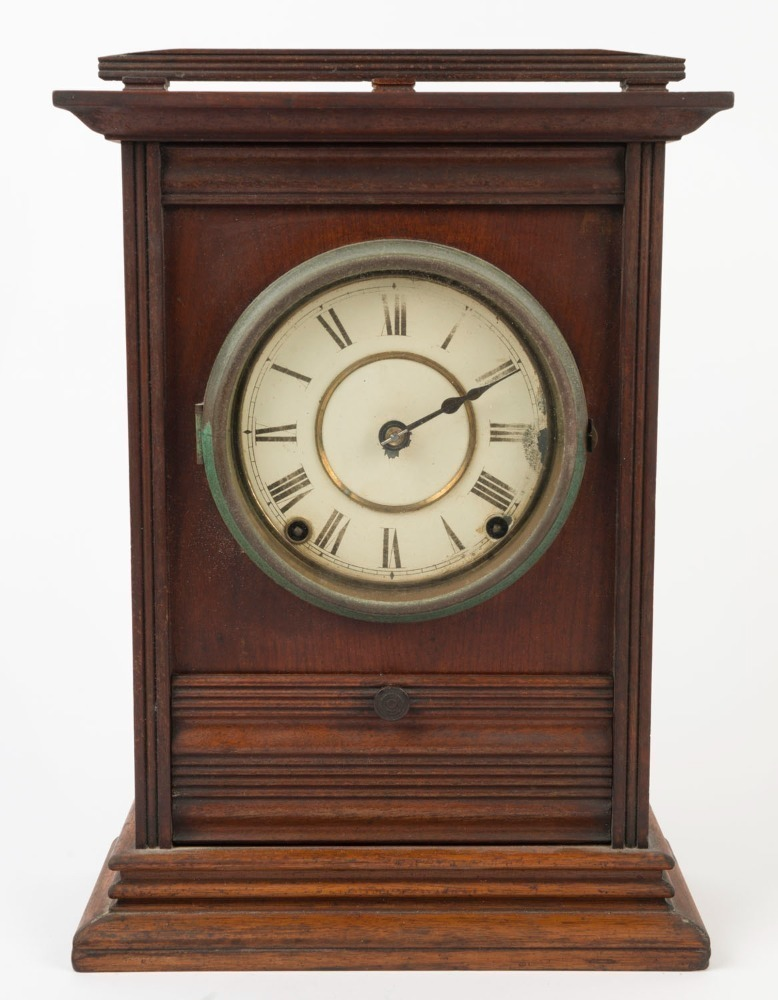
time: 2:10
